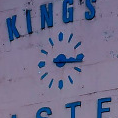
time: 3:16
